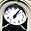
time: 6:06
